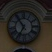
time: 6:54
